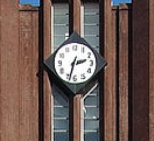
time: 2:33
